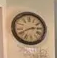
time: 2:41
